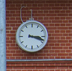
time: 3:18
